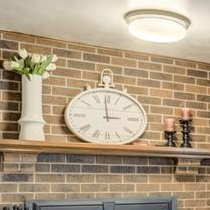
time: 2:59
